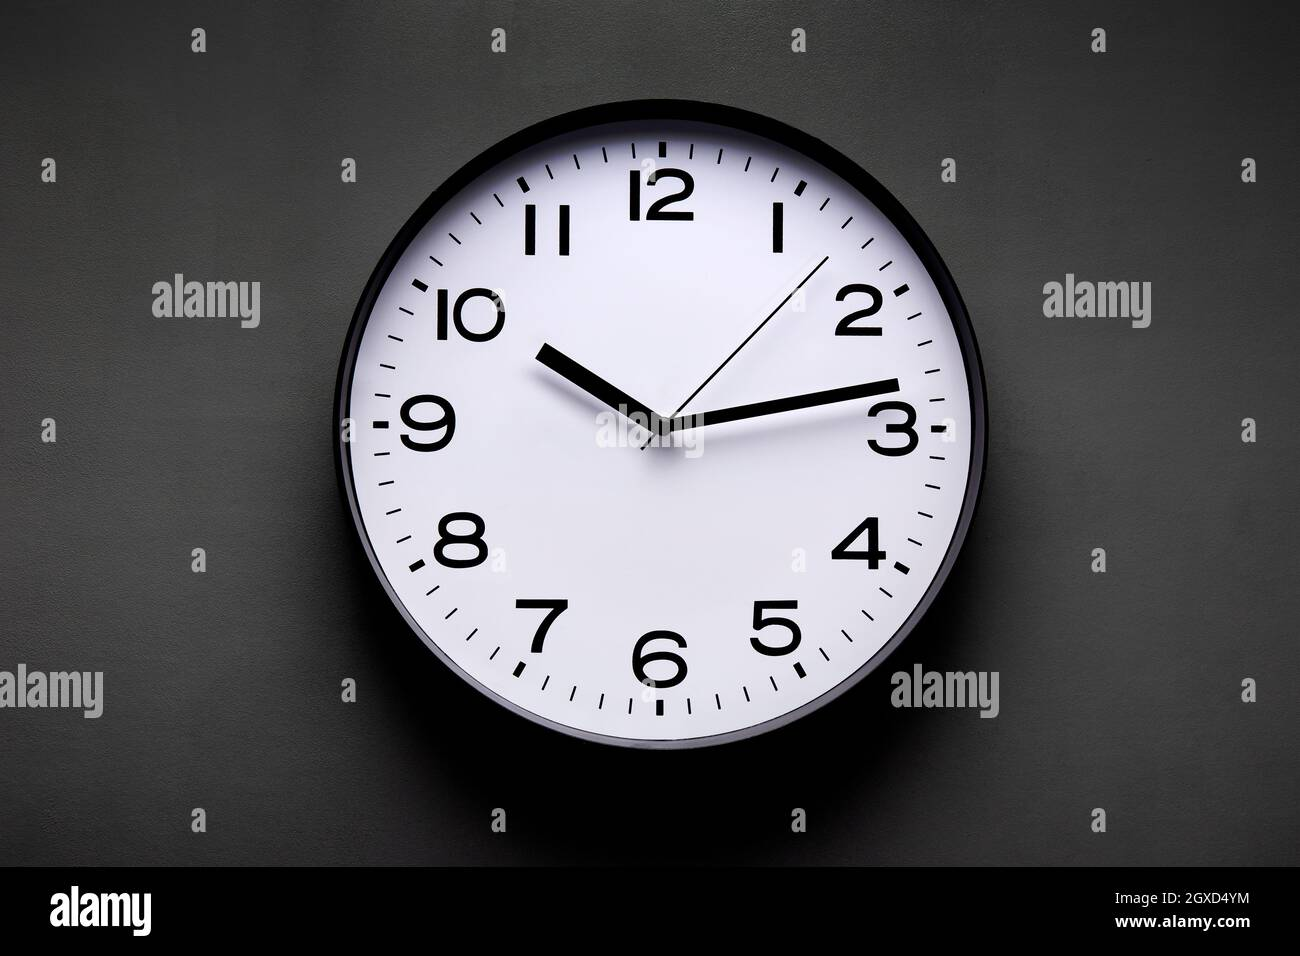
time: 10:13
